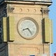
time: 8:23
